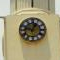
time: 12:47
